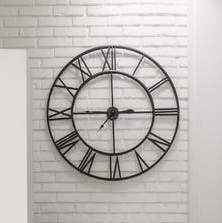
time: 2:45
